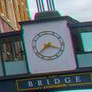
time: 3:38
